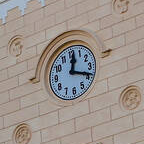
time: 12:18
